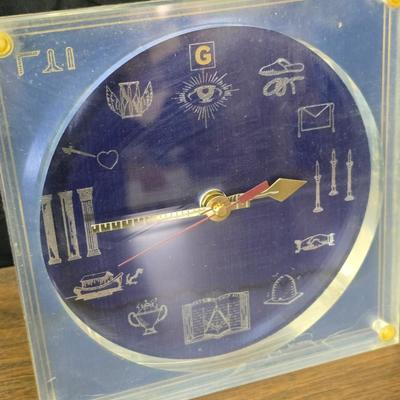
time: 2:44
